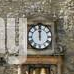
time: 12:00
